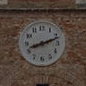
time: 8:11
